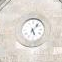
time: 5:06
